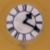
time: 1:19
